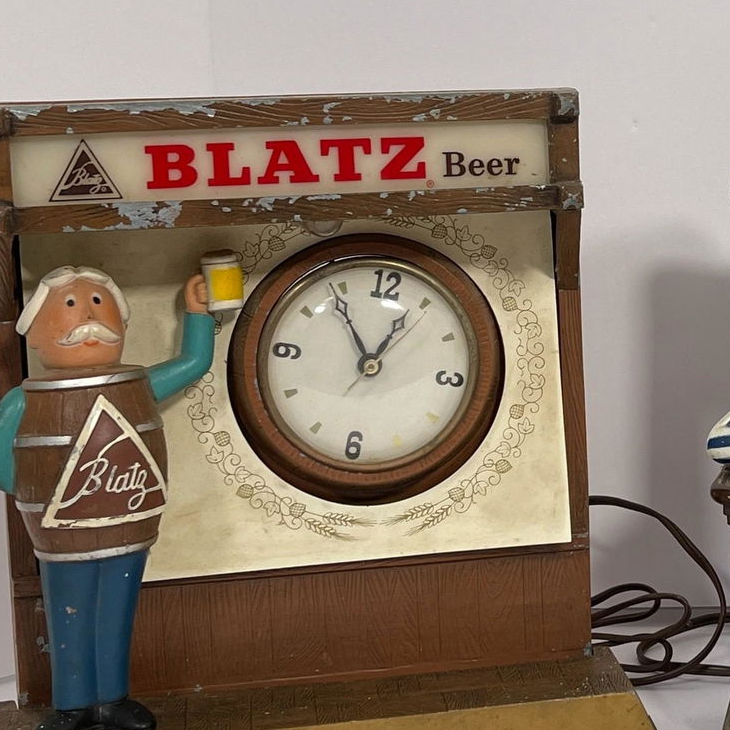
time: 12:54
